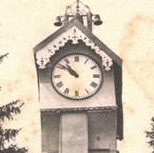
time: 10:51
